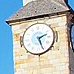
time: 2:26
